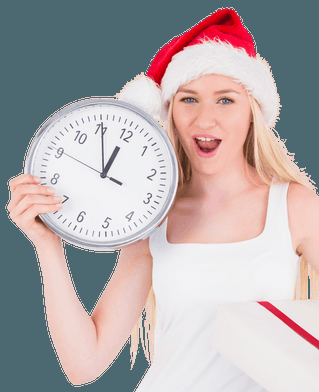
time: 11:55
